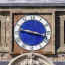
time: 3:47
